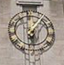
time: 6:06
